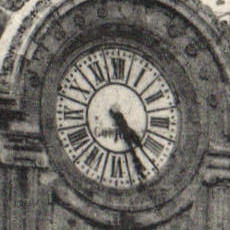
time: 4:25
